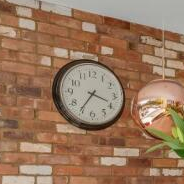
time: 3:35
